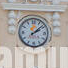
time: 2:08
